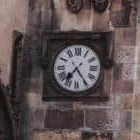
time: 7:24
